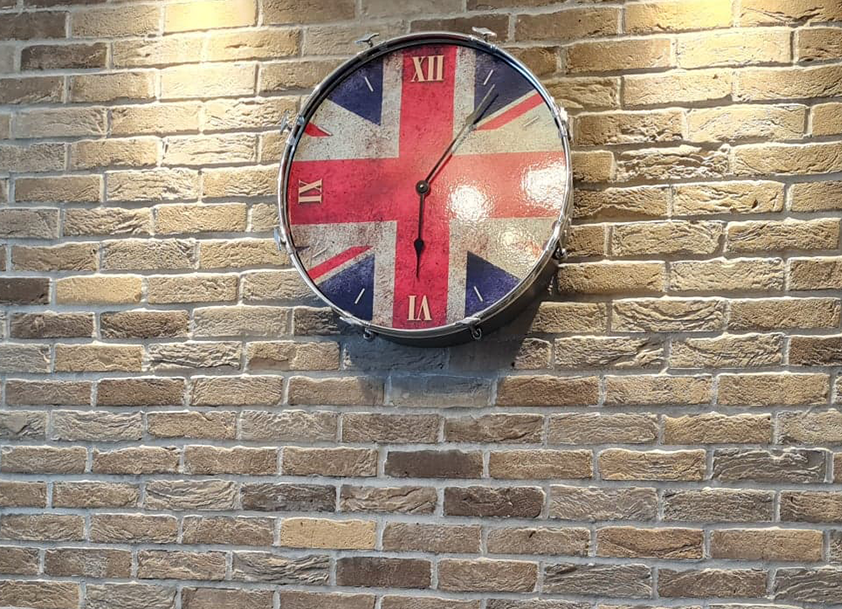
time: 6:06
